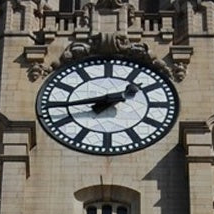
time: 1:43
